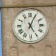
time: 5:04
